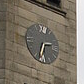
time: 2:33
